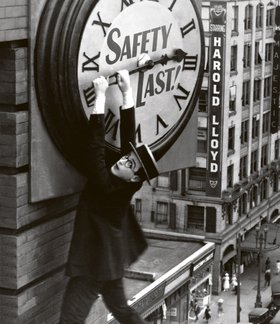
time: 6:13
